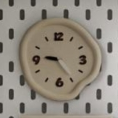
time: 9:23
